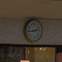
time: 2:44
